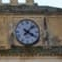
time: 4:07
